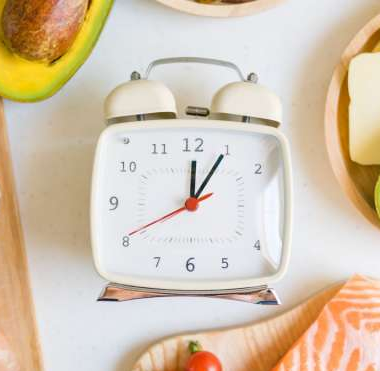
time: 12:05
